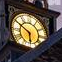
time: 5:50
